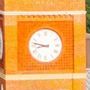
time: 8:47
